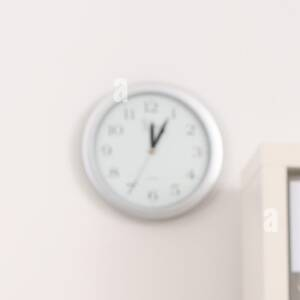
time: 12:04
